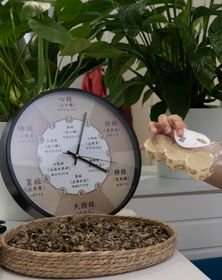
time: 4:04
